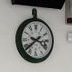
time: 3:38
